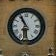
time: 5:54
